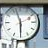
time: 5:57
